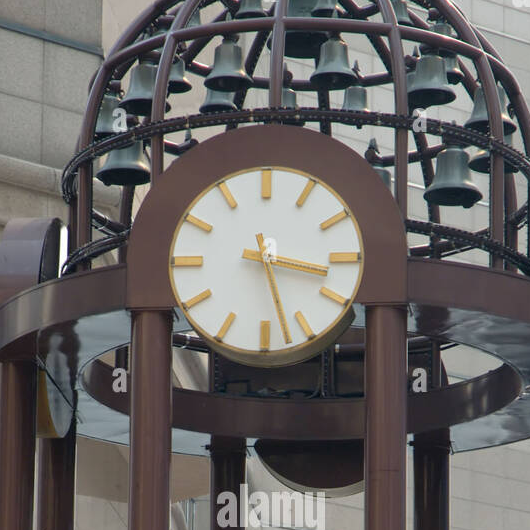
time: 3:27
